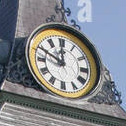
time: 11:49
